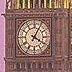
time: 4:04
